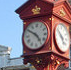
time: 4:50
